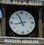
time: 8:56
